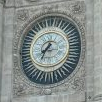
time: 7:34
